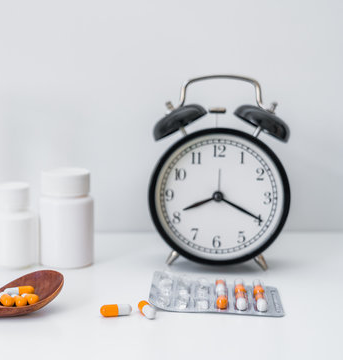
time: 8:19
